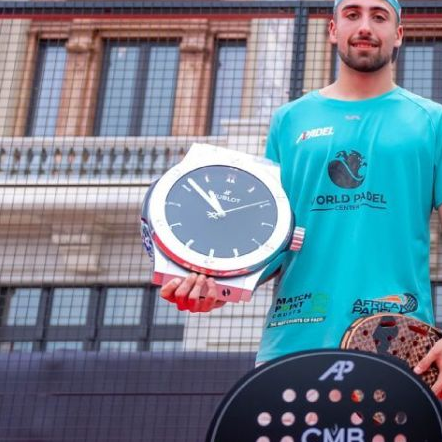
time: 10:51
